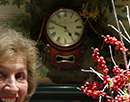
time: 4:48
